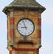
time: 8:56
